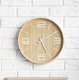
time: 5:09
